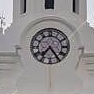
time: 7:24
